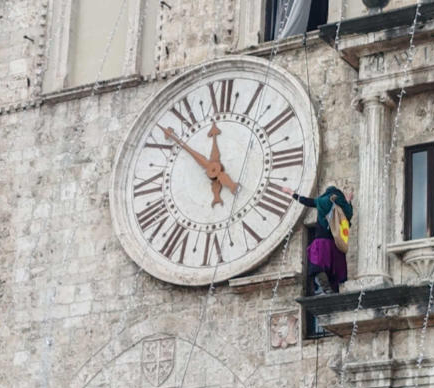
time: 11:51
